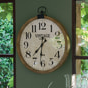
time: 7:31
